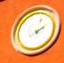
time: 2:01
